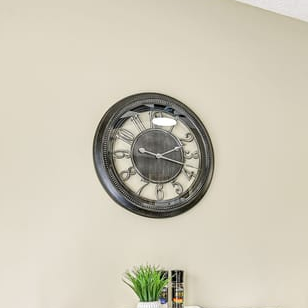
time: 9:18
